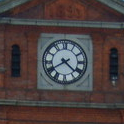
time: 4:40
